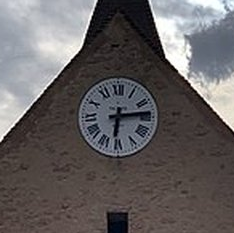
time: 6:13
